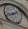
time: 1:41
